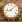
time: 9:07
